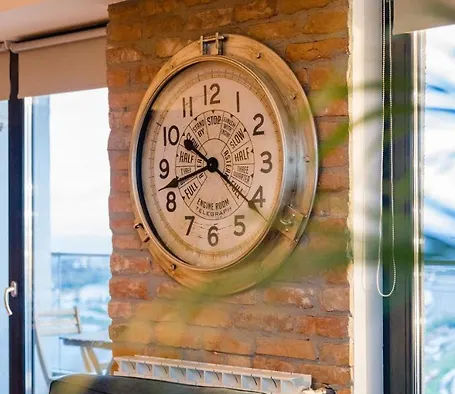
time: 8:21
